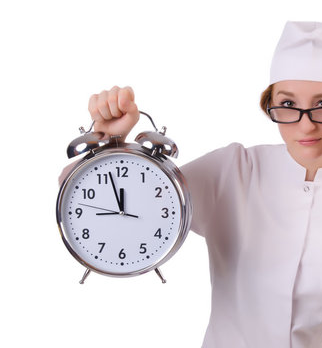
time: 11:57
